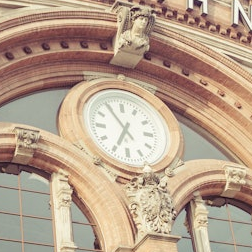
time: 6:54
